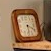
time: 6:19
